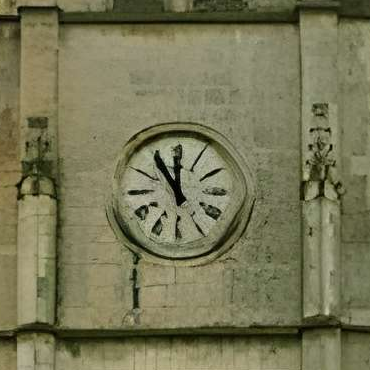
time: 11:00
